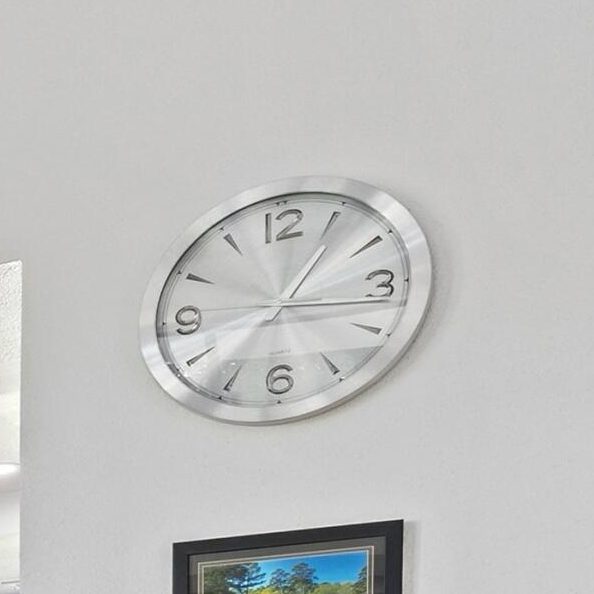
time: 1:16
